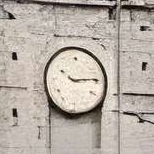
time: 10:14
